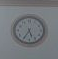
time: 5:35
